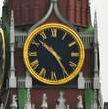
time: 10:24
